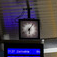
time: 6:06
